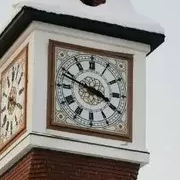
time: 3:48
